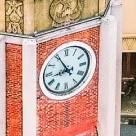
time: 8:54
